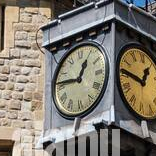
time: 12:46
